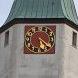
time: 5:21
